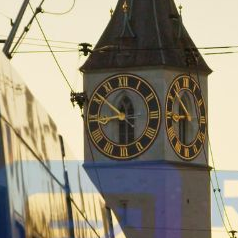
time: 8:51
